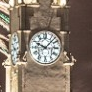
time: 10:07
